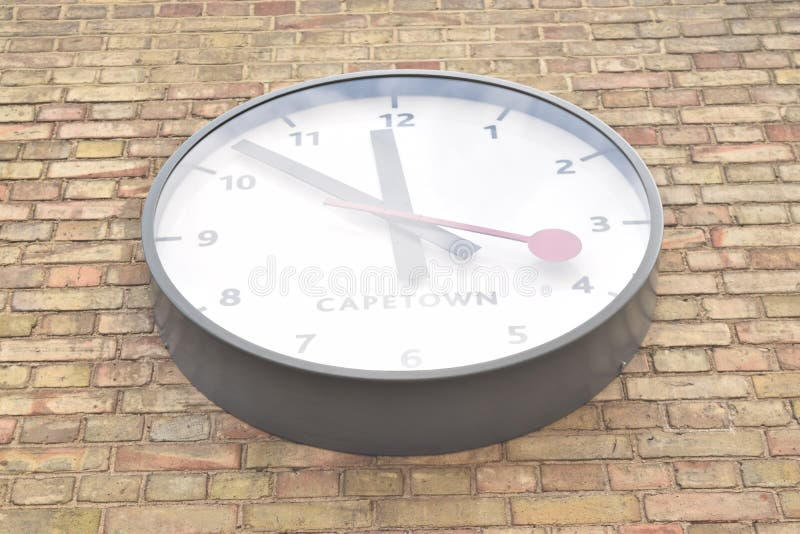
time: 3:52
